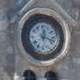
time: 12:17
